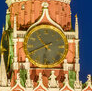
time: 10:41
